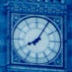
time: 8:05
